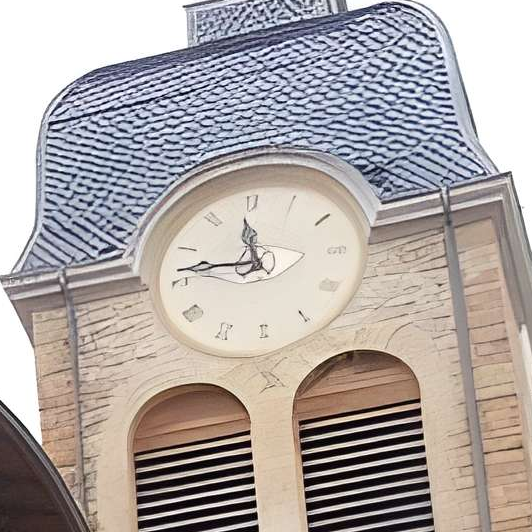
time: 11:46
